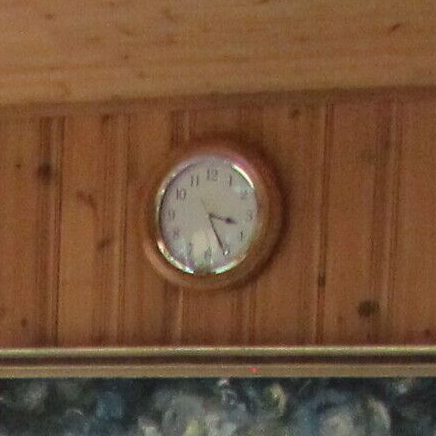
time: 3:26
